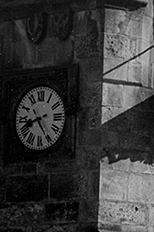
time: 8:24
